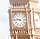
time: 9:45
